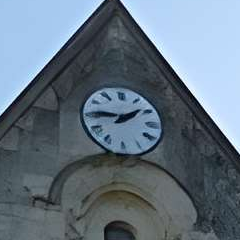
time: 1:45
